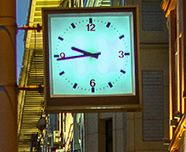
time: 9:43
